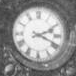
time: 2:18
